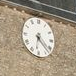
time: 6:22
